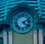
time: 4:10
